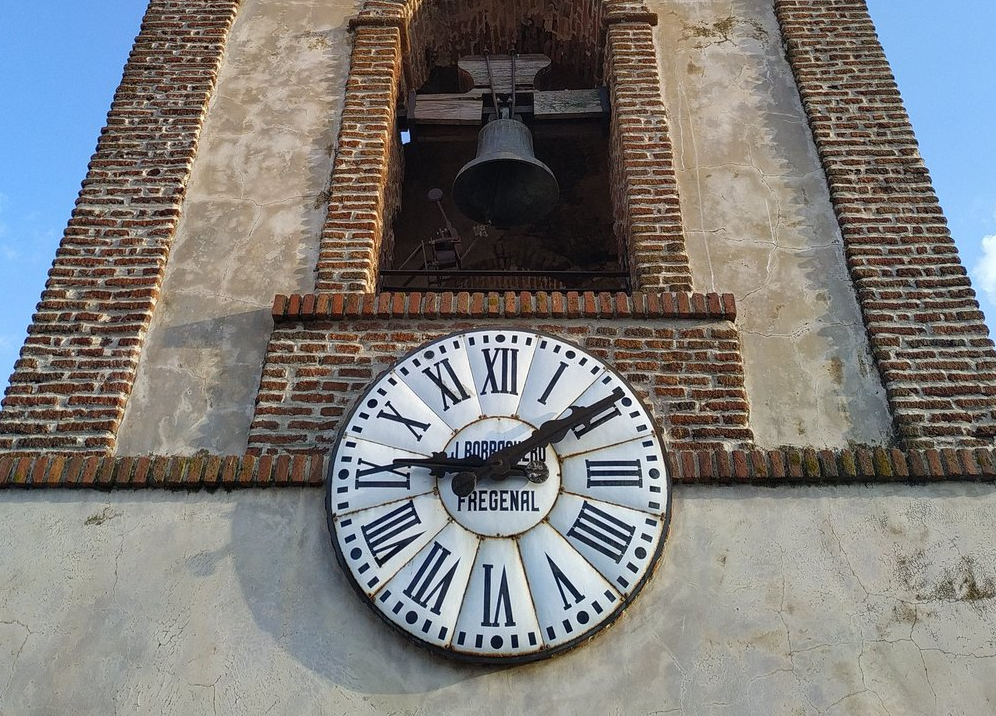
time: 9:09
